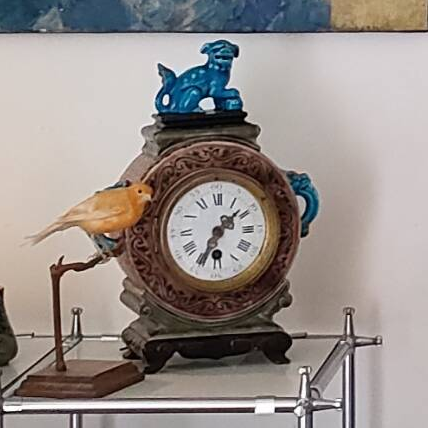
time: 1:33
